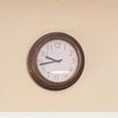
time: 9:42
